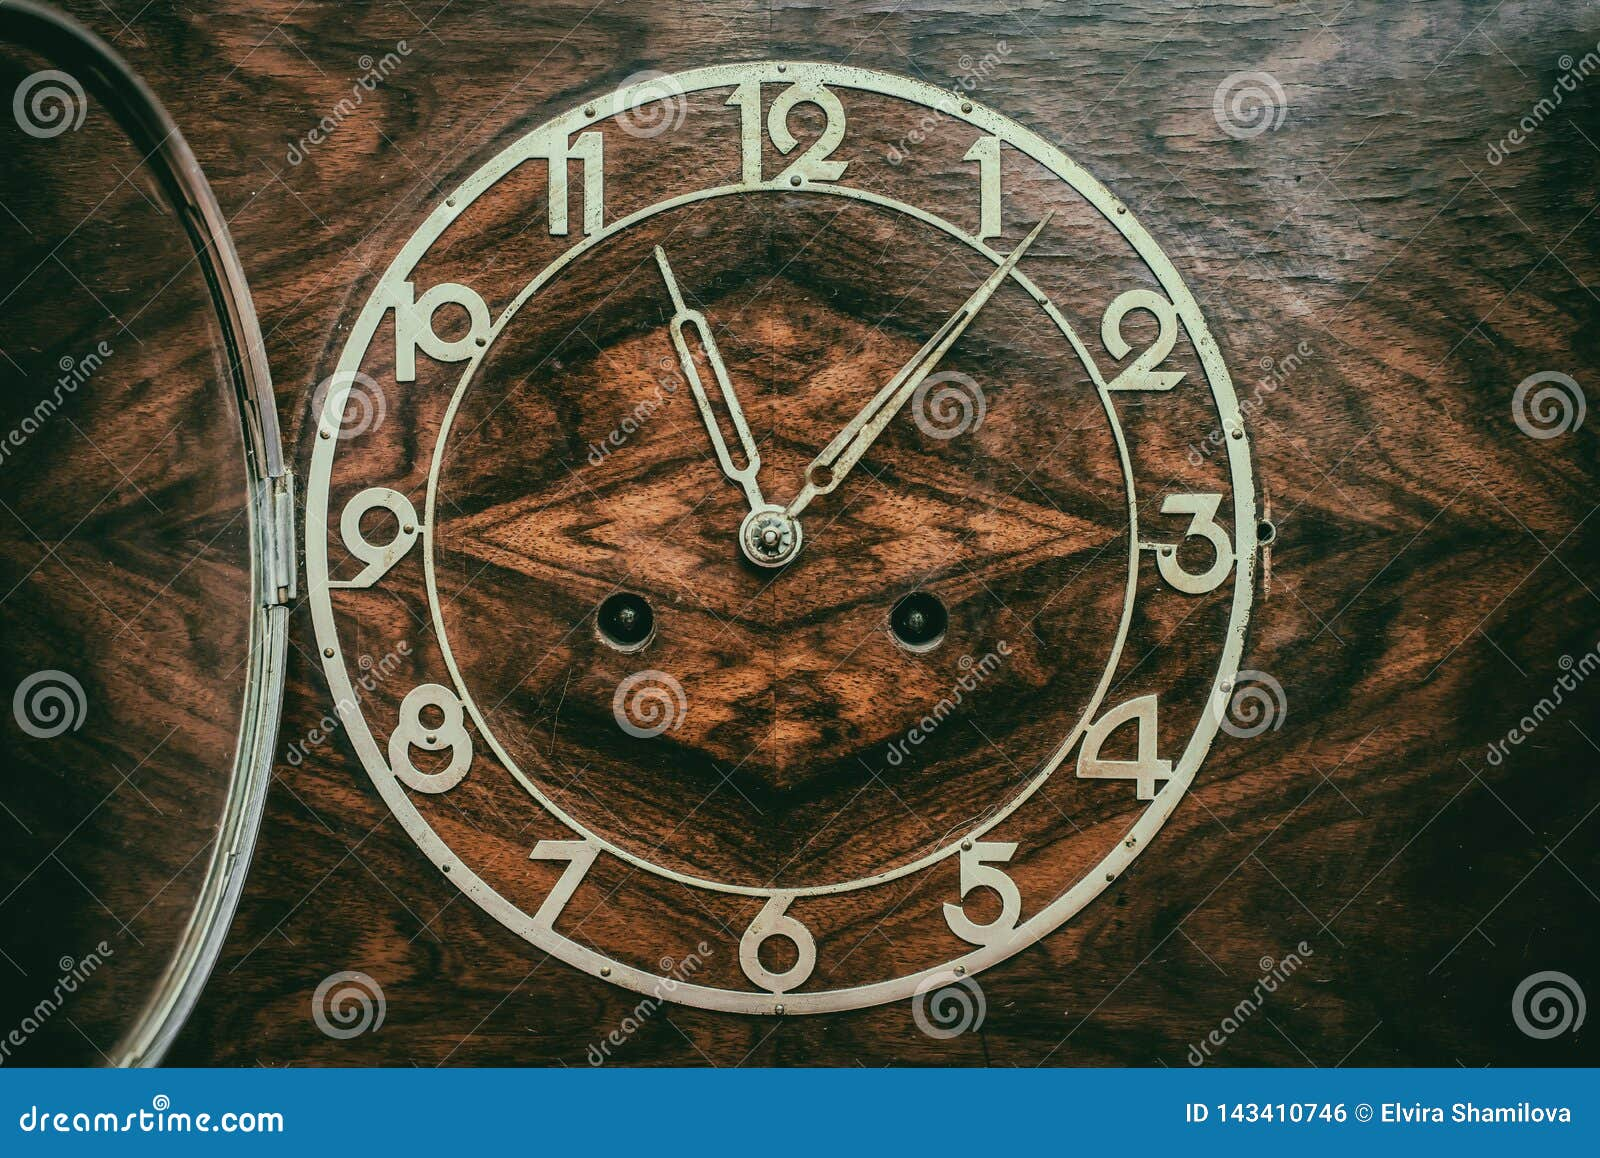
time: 11:06
